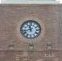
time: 11:42
